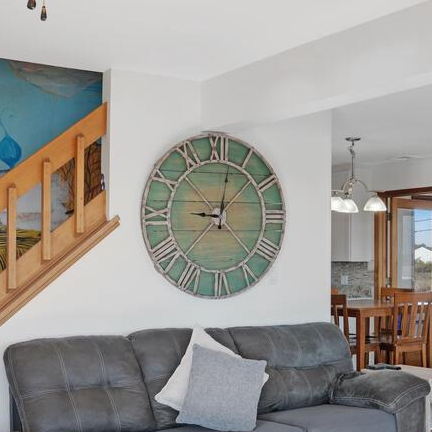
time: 9:02
